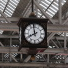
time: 7:58
